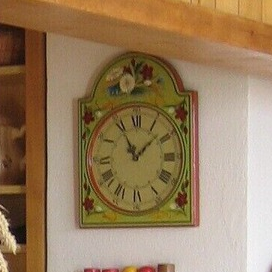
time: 11:08
